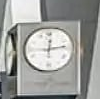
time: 12:13
